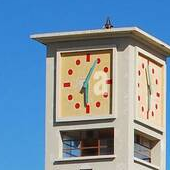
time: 6:04
